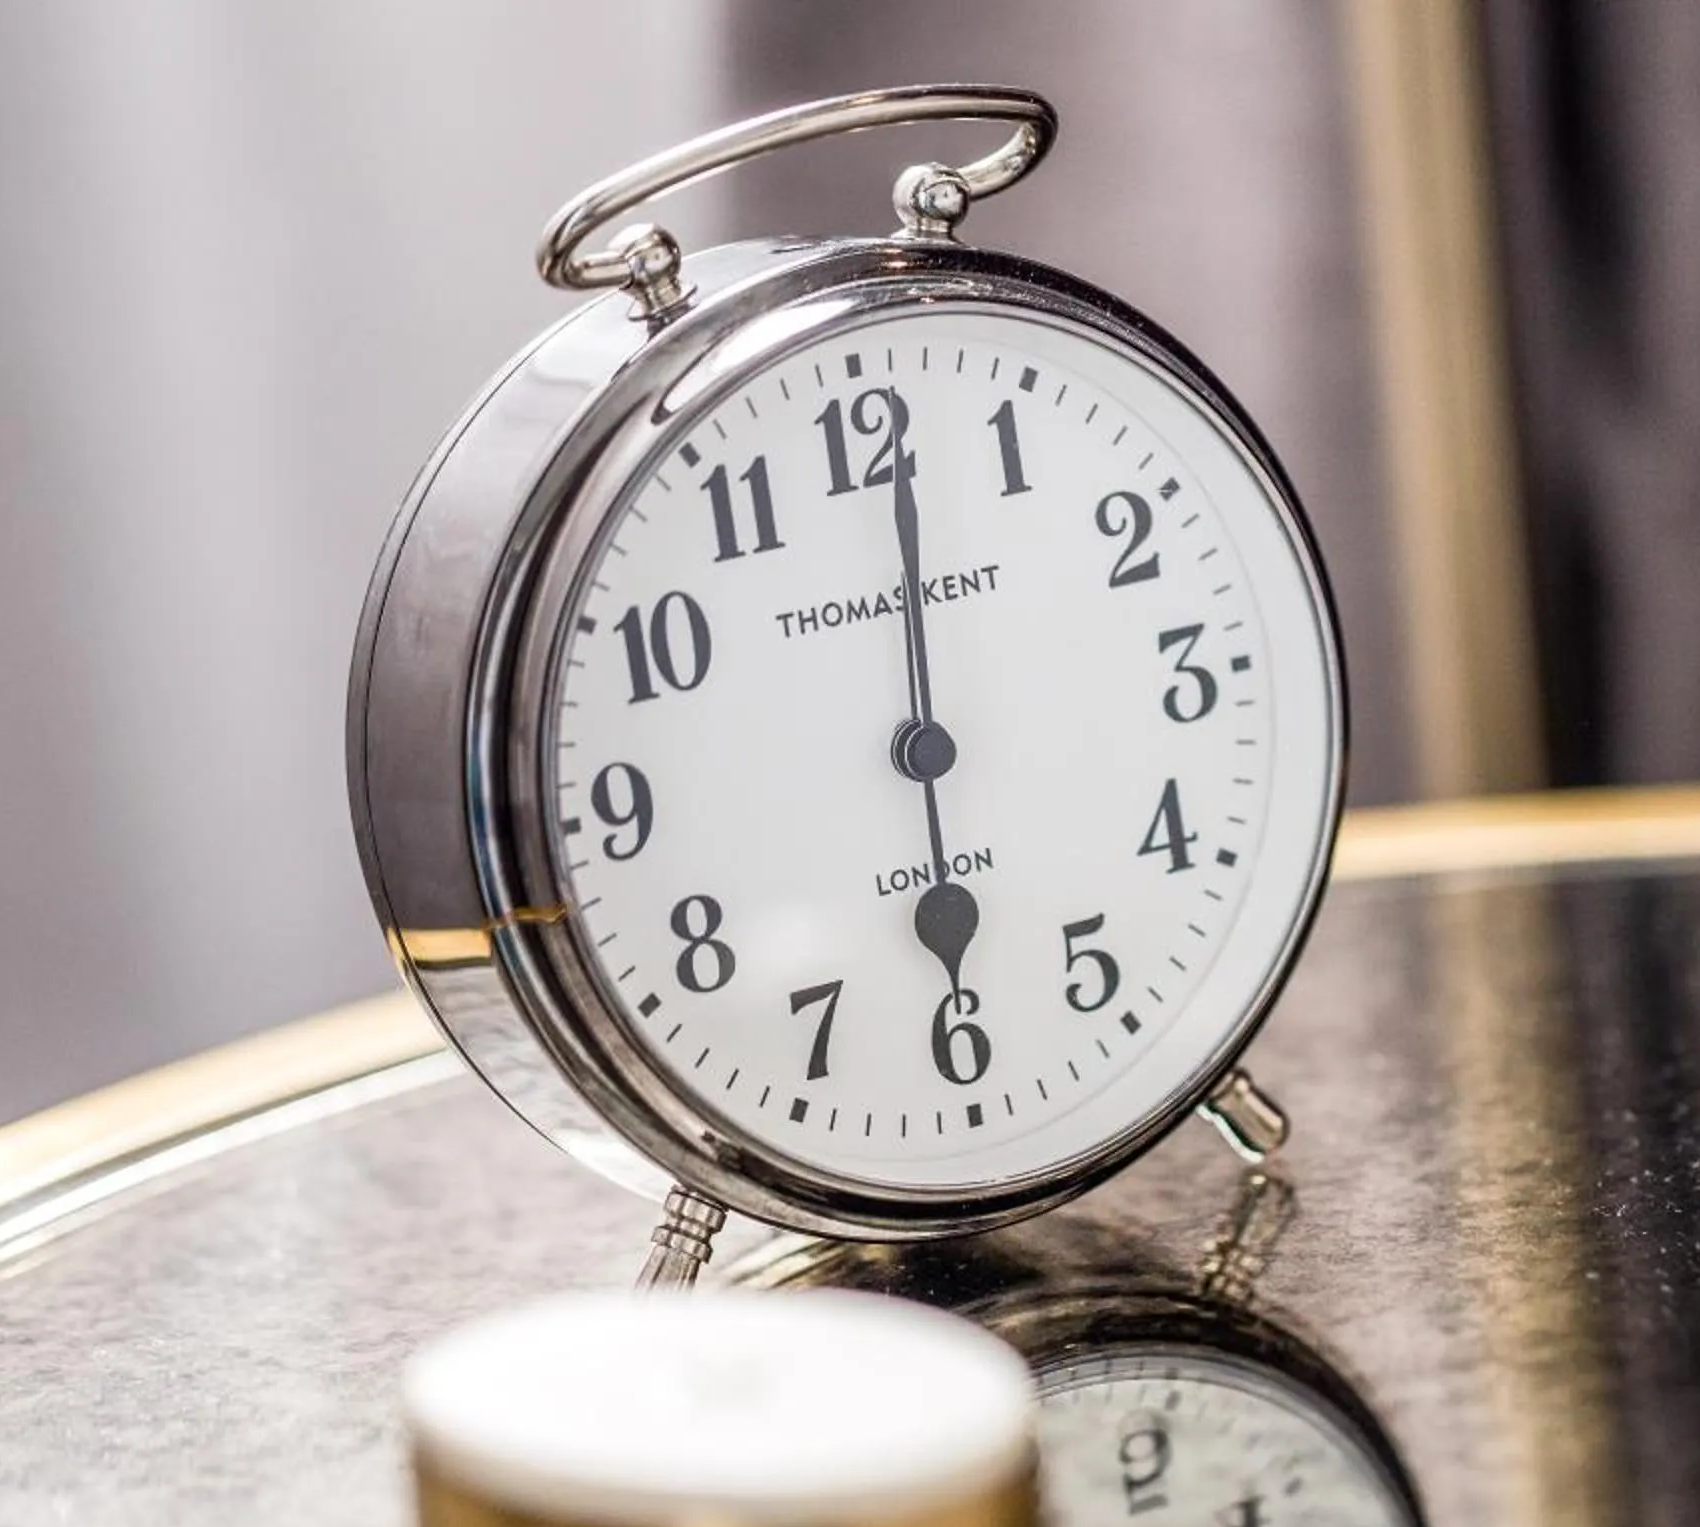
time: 6:00
